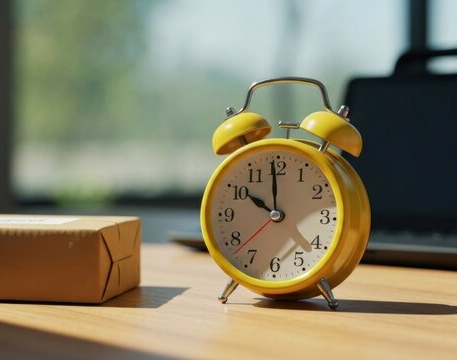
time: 9:59
